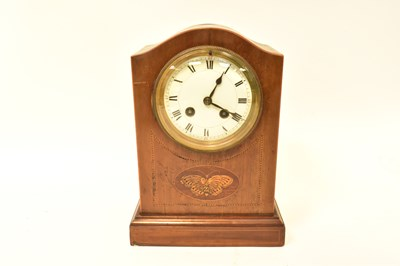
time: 4:04
